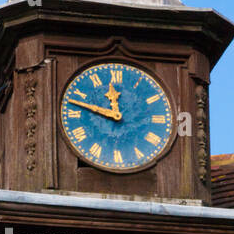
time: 11:47
